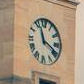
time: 11:19
